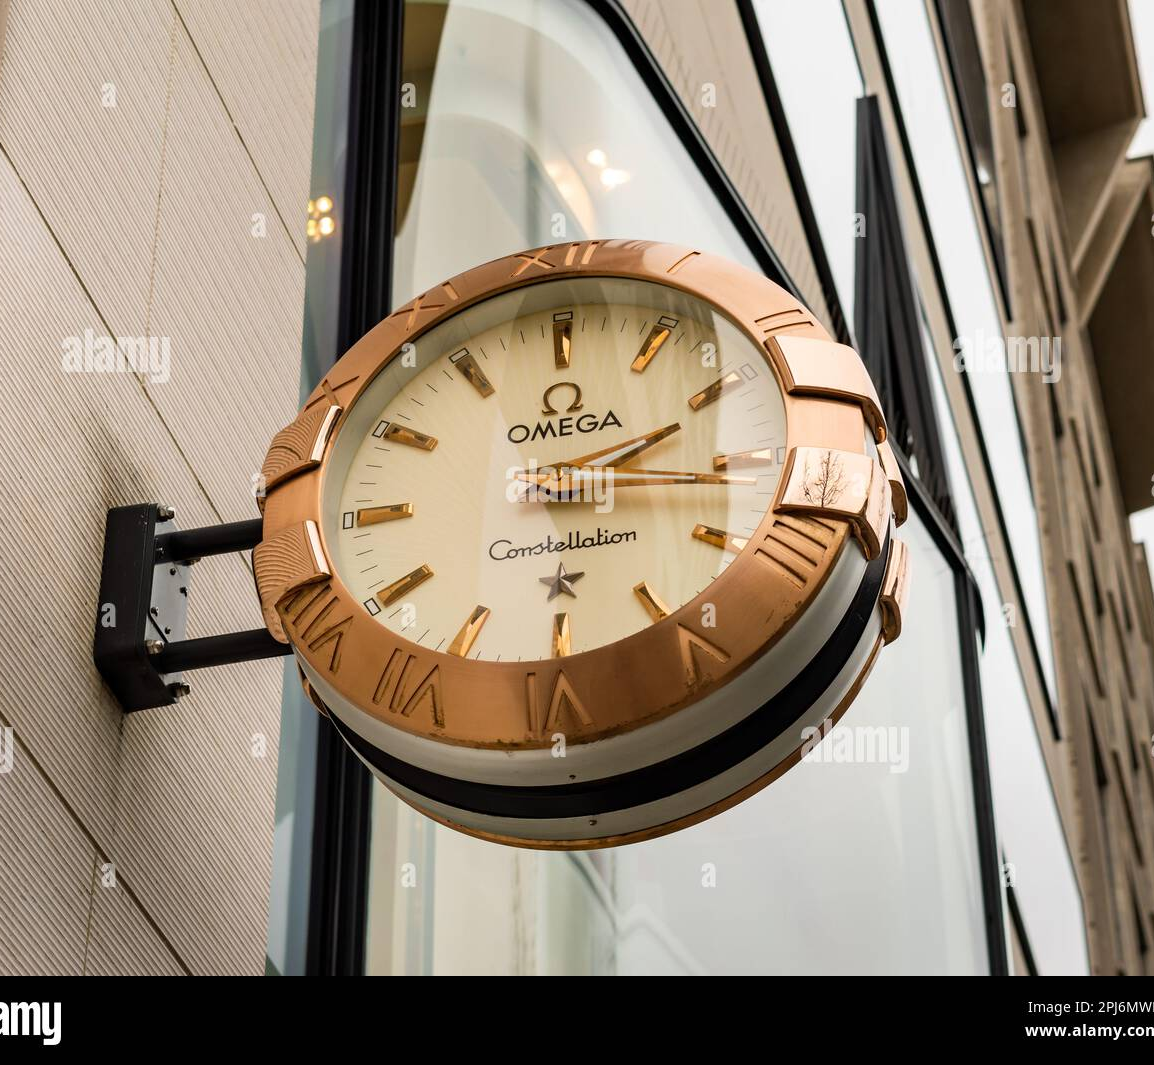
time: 2:30
